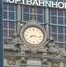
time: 8:16
